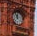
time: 11:55
